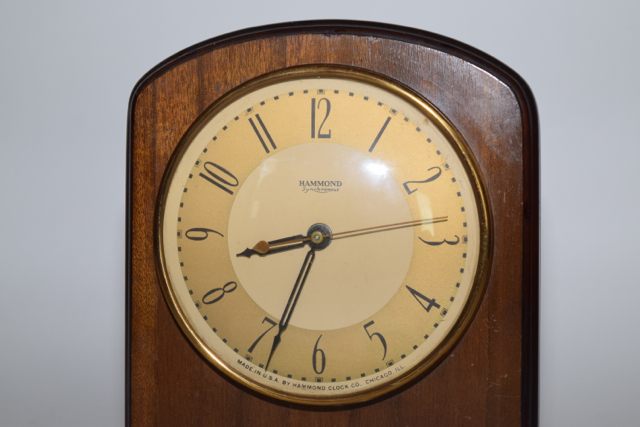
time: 8:33
